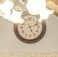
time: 5:11
